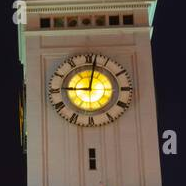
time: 9:01
